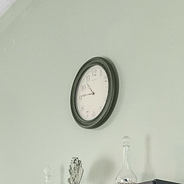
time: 10:45
